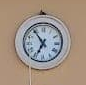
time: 6:54
